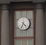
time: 4:34
